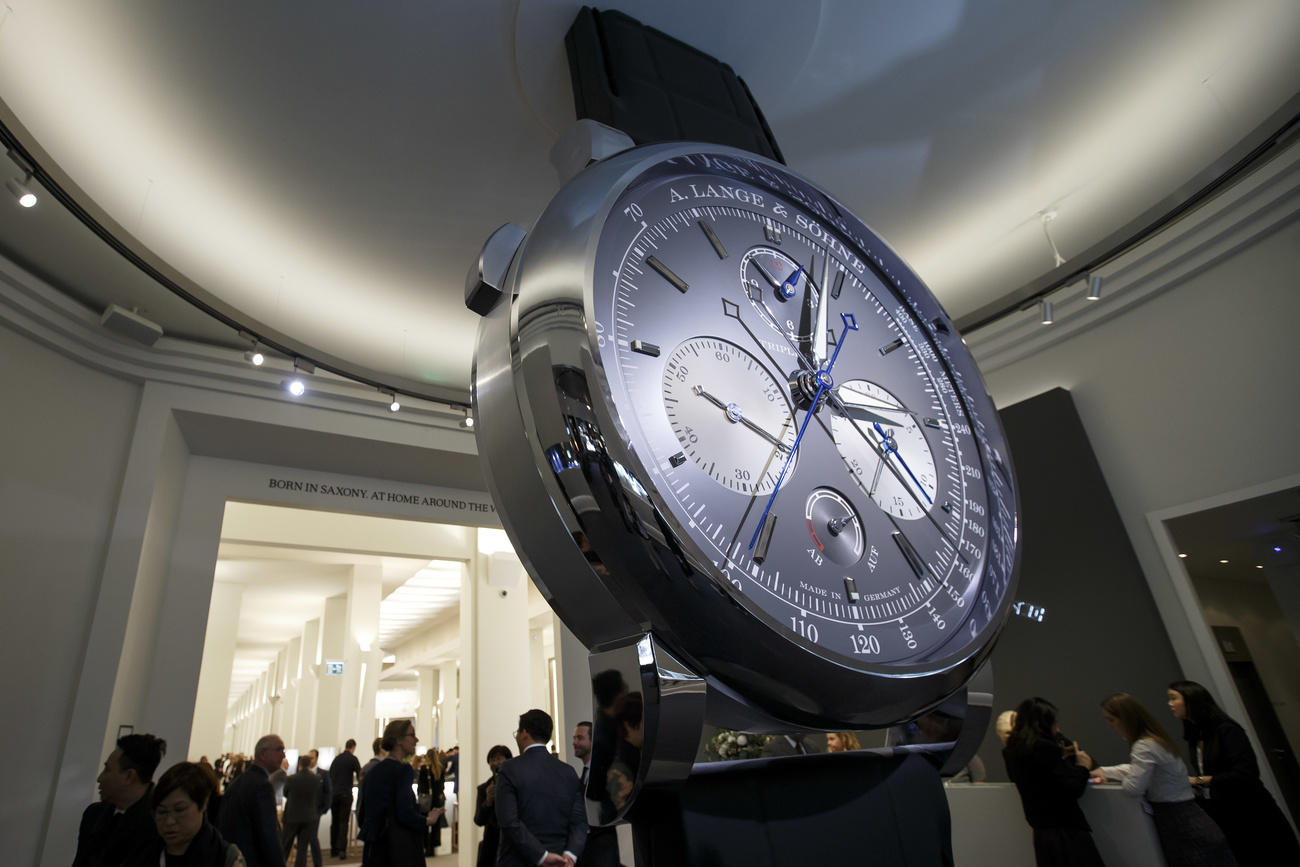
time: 3:02
